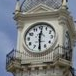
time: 12:29
